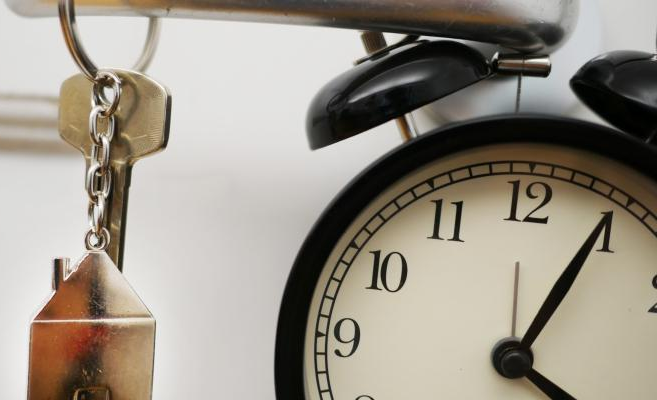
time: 4:04
